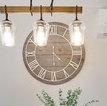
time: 4:44
